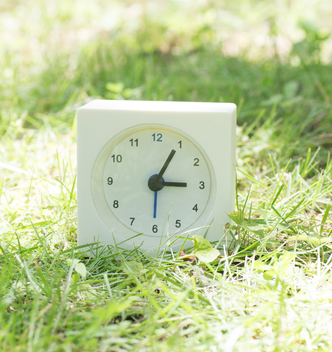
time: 3:04
